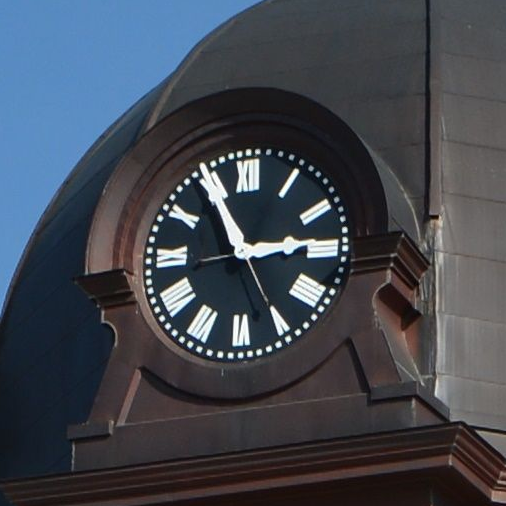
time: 2:55
